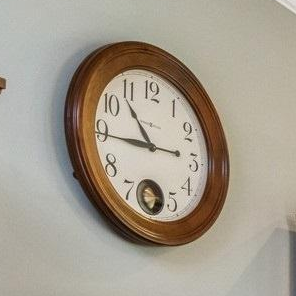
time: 10:44
